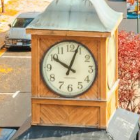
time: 10:03
